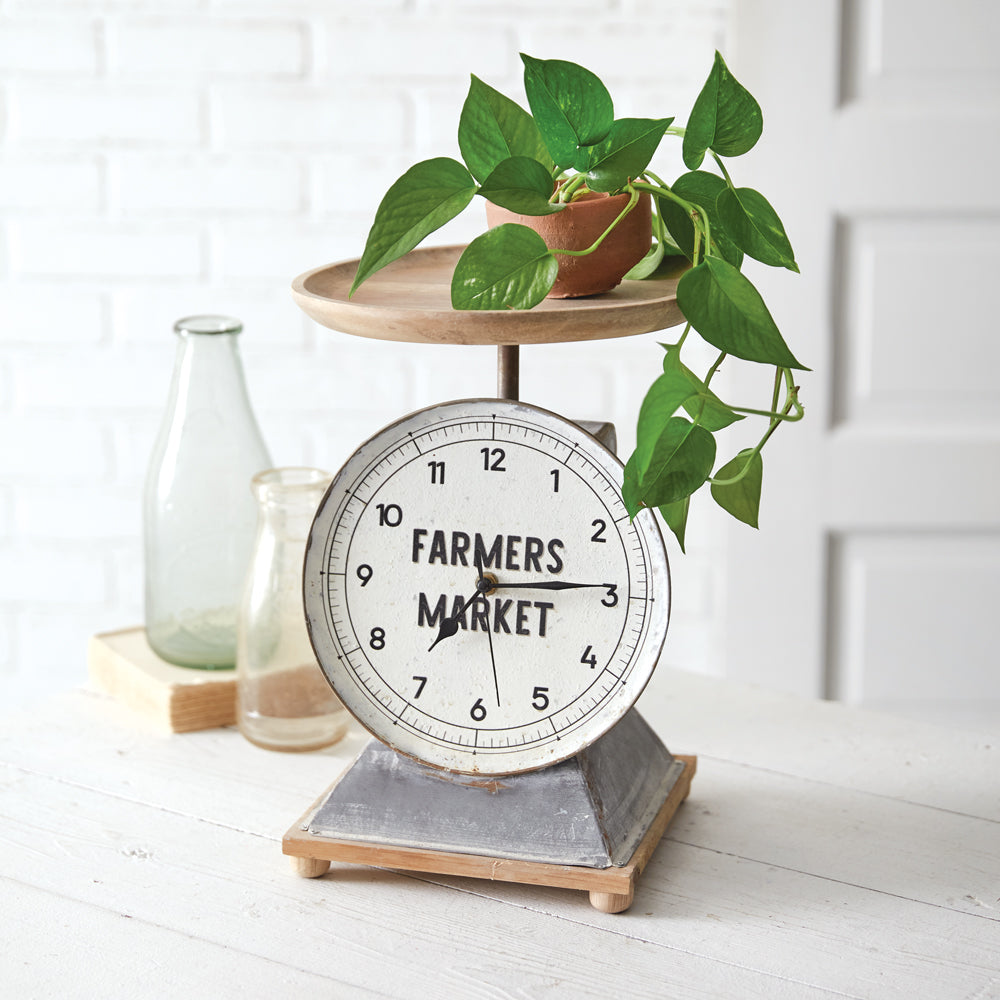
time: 7:14
